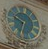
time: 9:32
